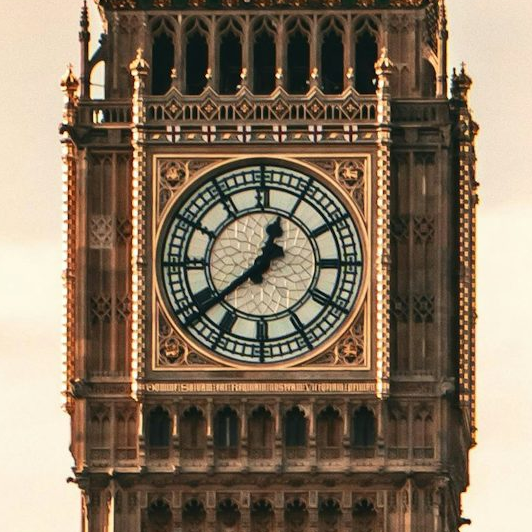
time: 12:38
